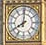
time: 8:01
